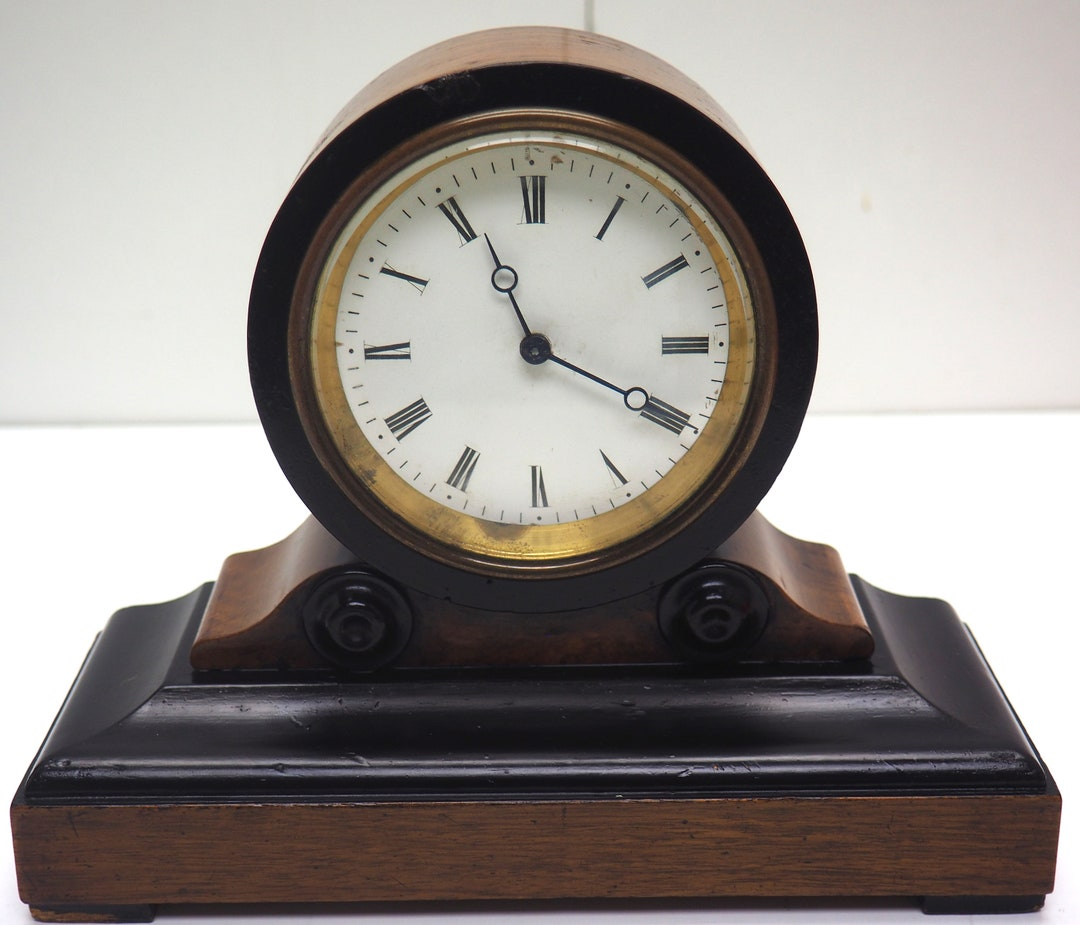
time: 11:19
